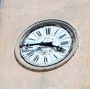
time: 3:45
